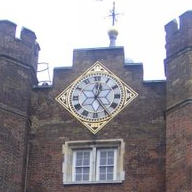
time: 12:24
